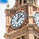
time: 12:07
